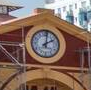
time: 2:01
